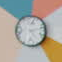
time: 5:13
